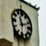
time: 11:11
